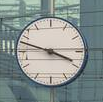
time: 3:47
